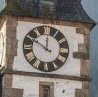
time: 11:50
